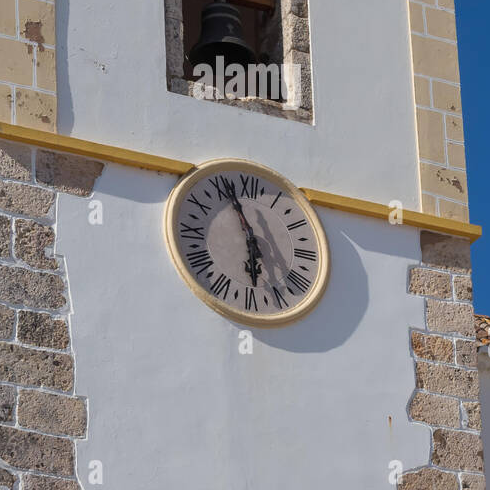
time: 5:56
